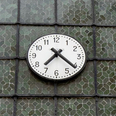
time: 7:21
